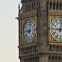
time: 9:01
